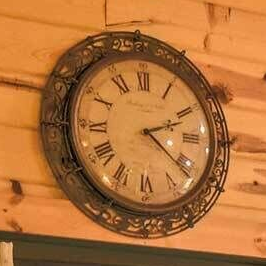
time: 2:21
